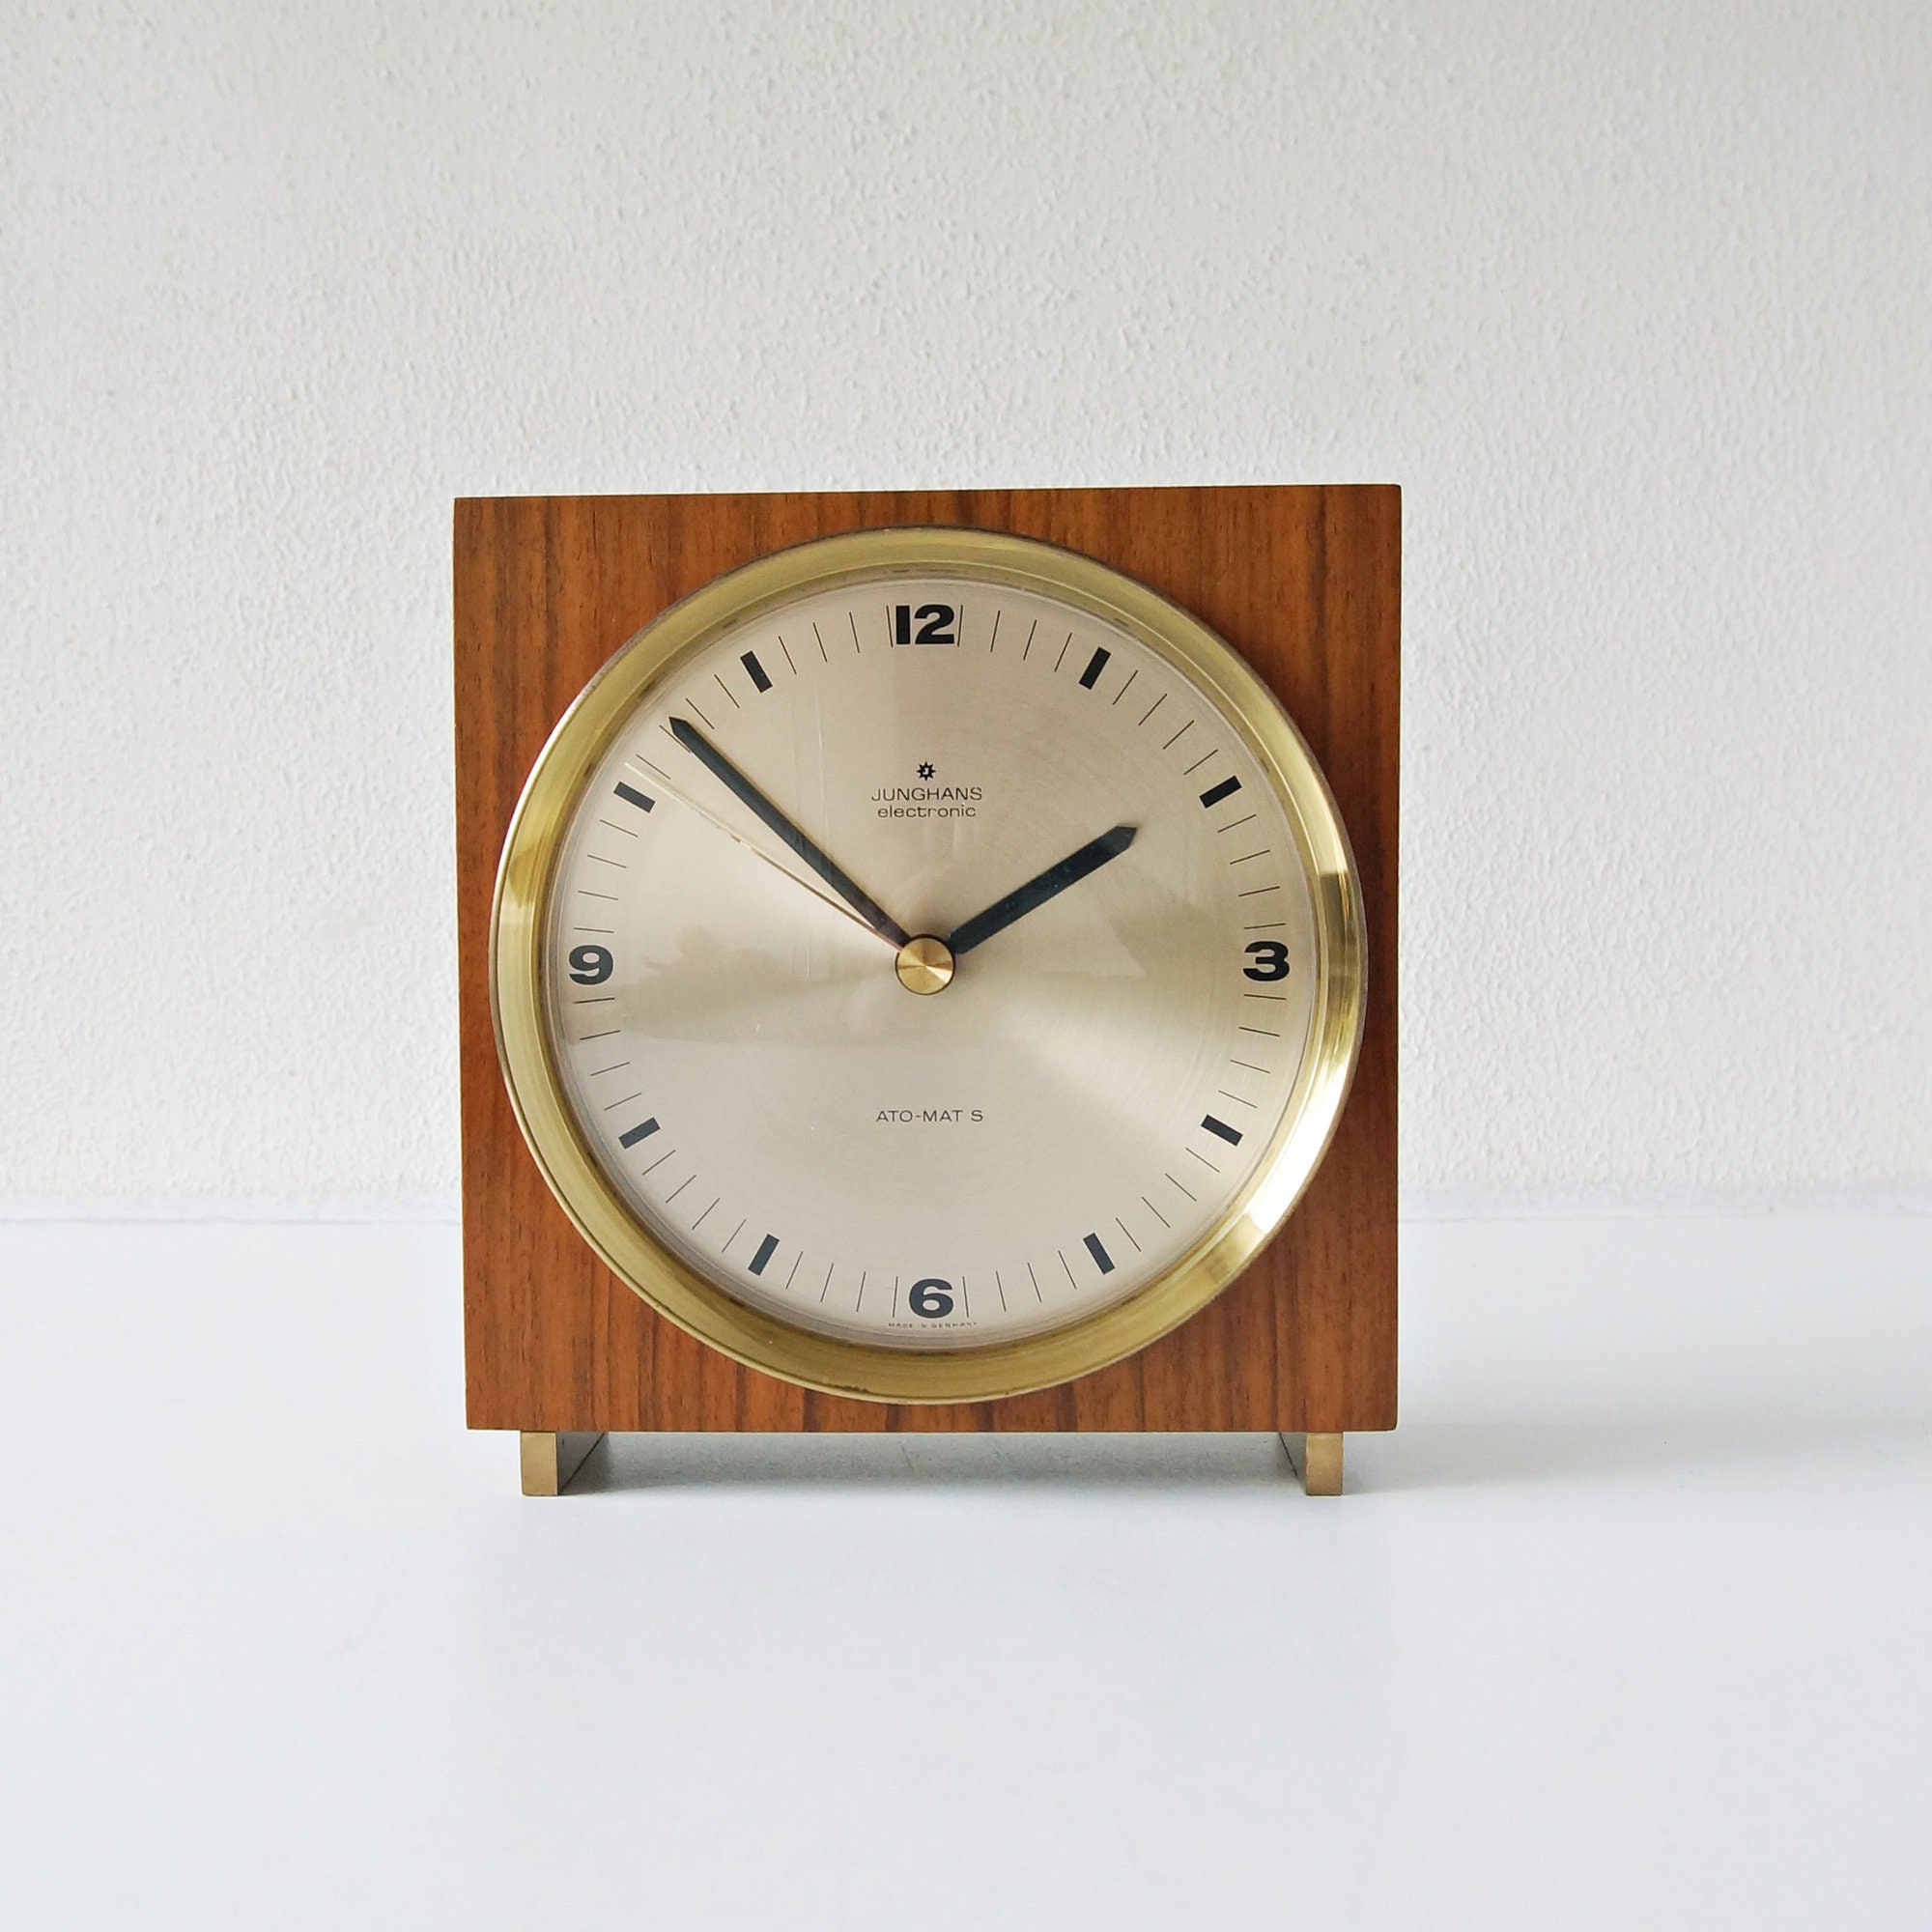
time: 1:52
